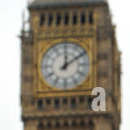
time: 12:09
